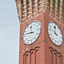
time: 11:46
